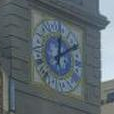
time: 2:01
